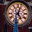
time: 5:03
